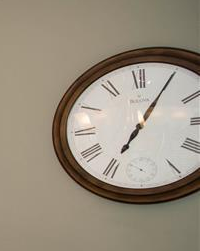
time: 7:05
